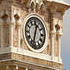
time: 12:32
